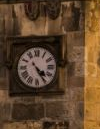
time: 4:24
